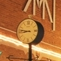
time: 8:46
